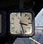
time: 3:27
